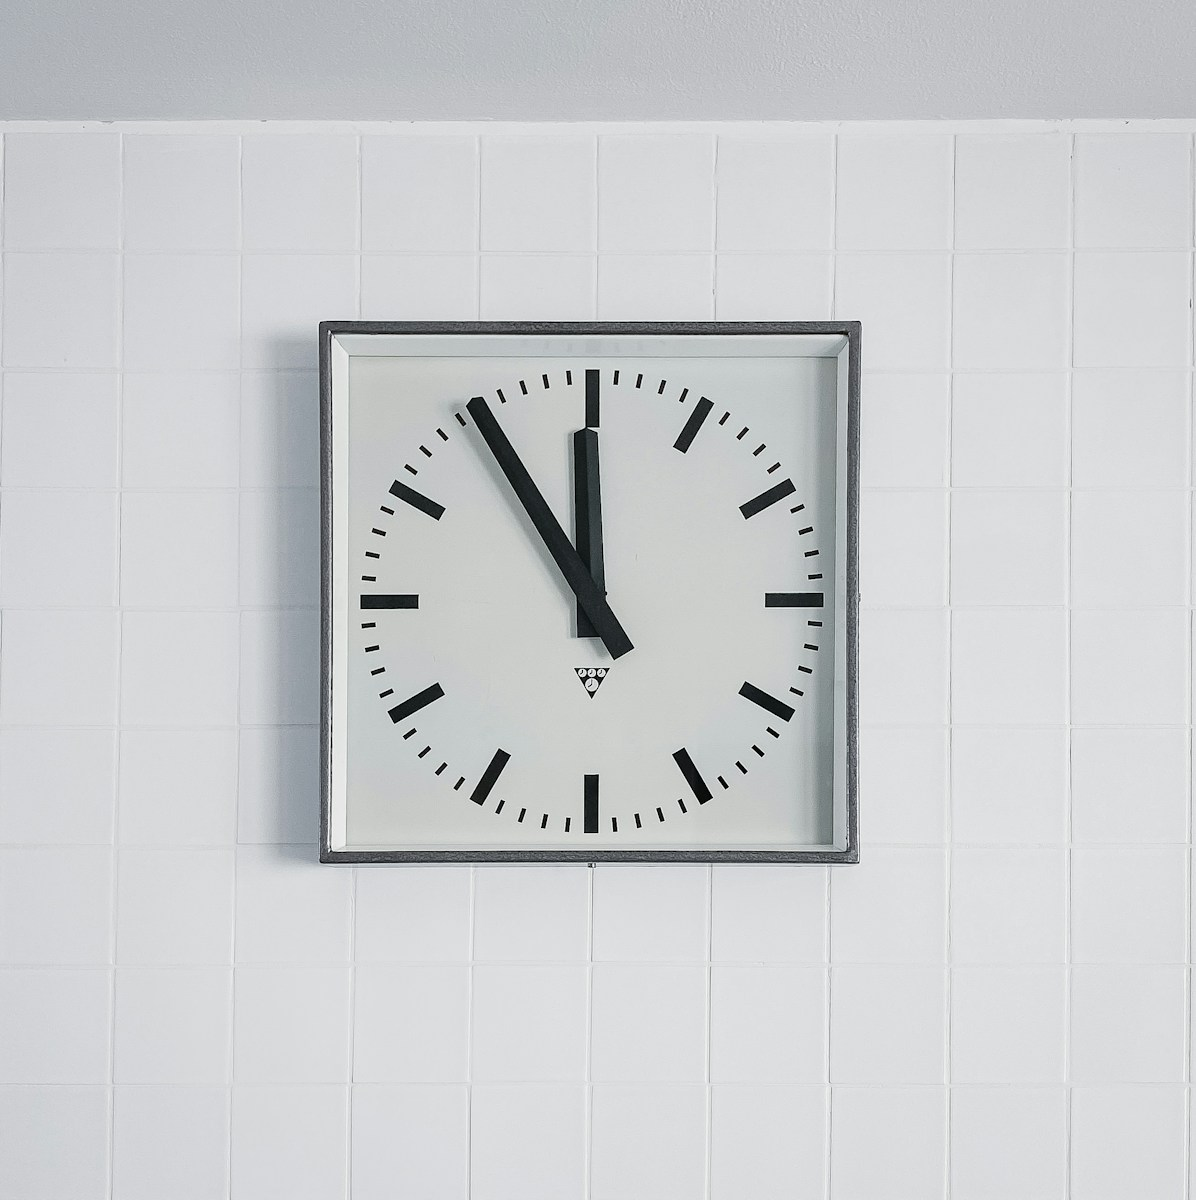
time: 11:54
